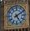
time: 5:09
